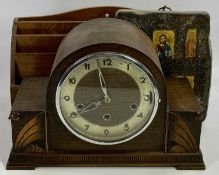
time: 11:58
